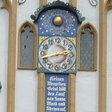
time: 2:42
